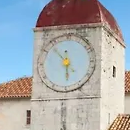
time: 5:53
